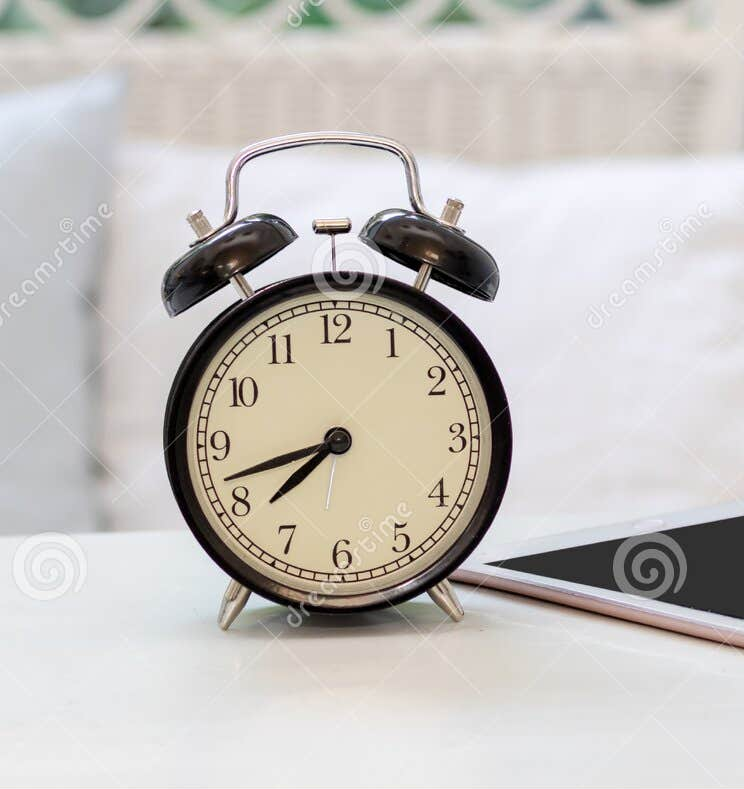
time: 7:42
